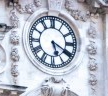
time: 5:19
